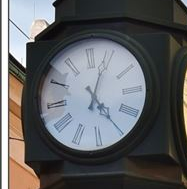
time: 5:03
